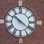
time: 10:21
